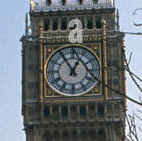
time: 12:55
